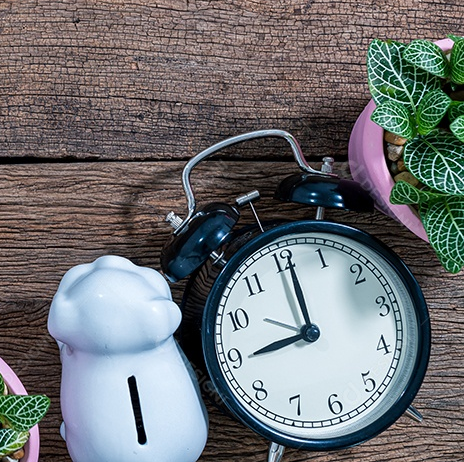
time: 9:01
